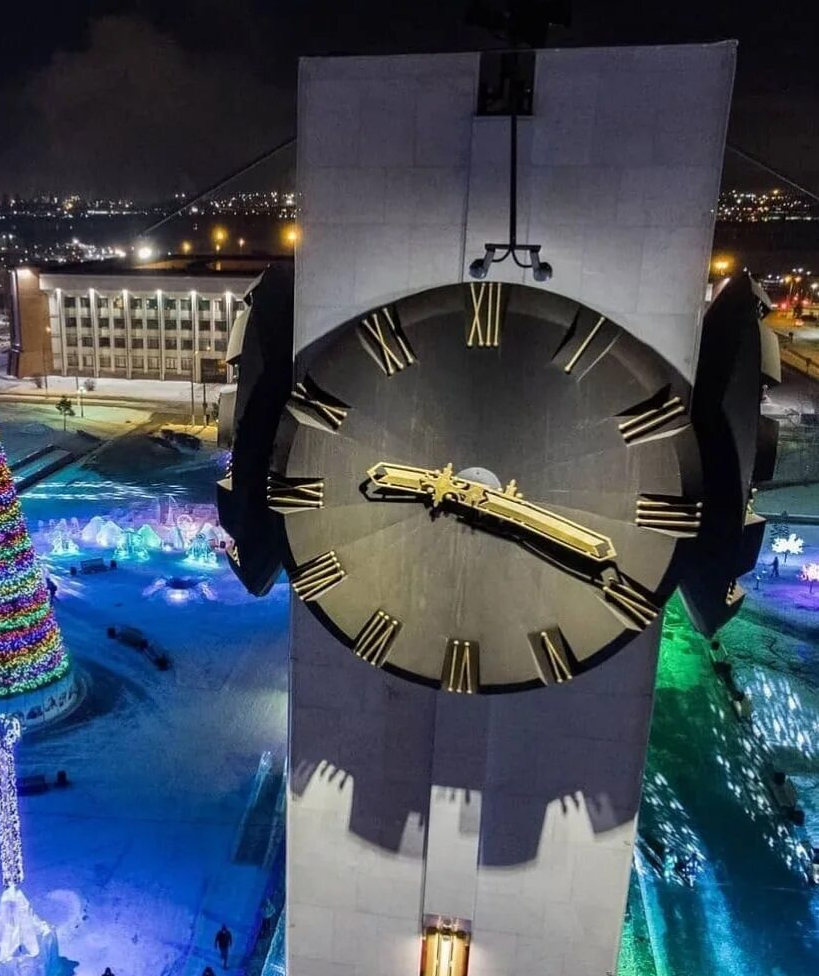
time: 9:18
